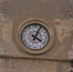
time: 4:04
